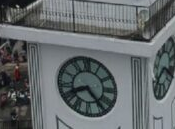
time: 8:23
